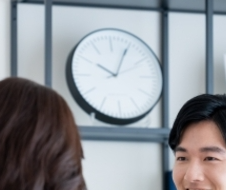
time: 10:04
